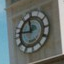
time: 11:46
